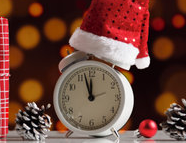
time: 11:57
